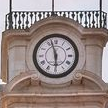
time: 5:57
